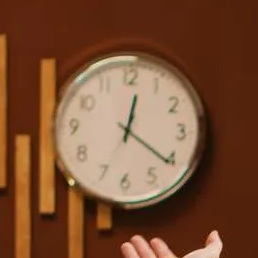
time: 12:20
